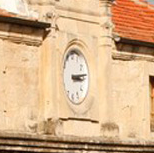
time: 3:14
